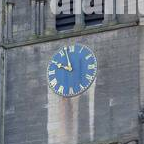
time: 9:57
